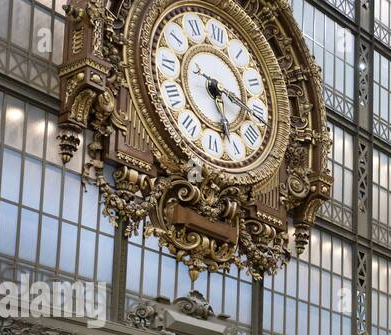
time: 5:18
